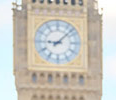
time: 9:07
